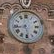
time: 5:43
